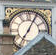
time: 7:04
